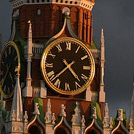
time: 4:37
